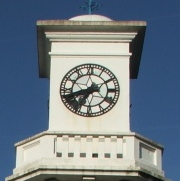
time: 8:35
